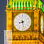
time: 8:27
